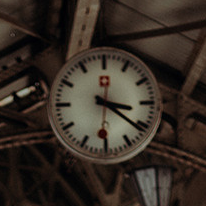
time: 3:21
